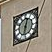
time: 12:32
